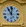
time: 11:02
